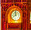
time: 7:59
